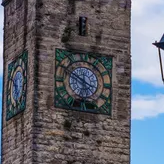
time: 3:50
